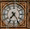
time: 7:24
